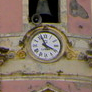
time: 3:56
